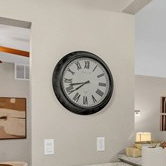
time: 7:42
